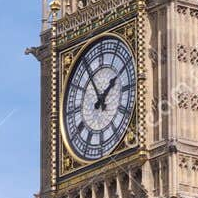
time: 1:55
